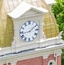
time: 1:43
